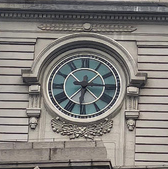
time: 6:15
